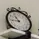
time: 10:43
